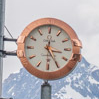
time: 3:24
